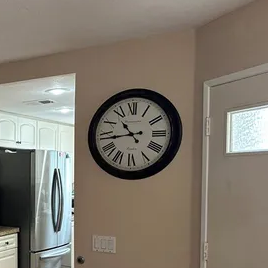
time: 10:43
